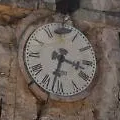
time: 3:32
